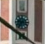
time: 9:36
